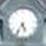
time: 5:35
